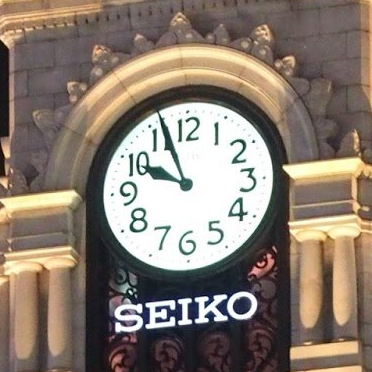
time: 9:56
